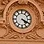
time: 4:19
